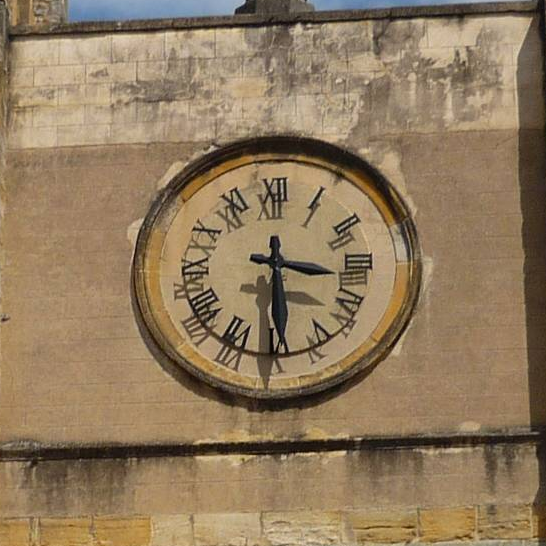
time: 3:29
